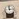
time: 2:58
